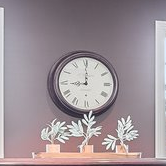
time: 9:00
